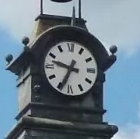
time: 9:34
